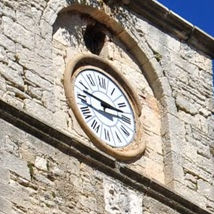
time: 2:47
